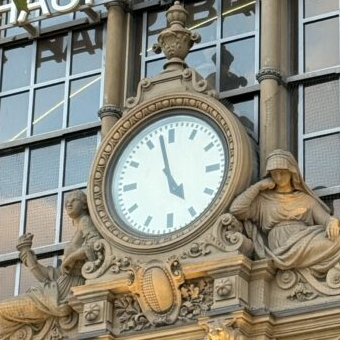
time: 4:57
